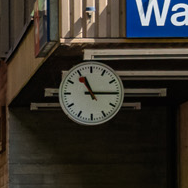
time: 11:14
